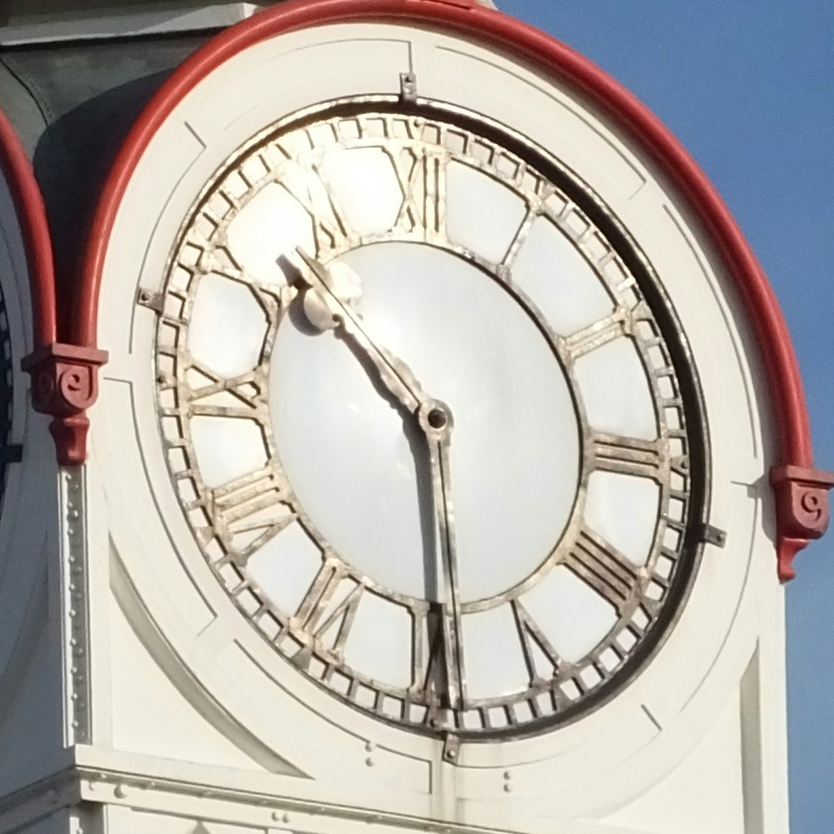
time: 10:29
